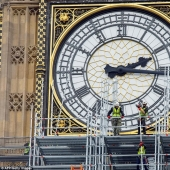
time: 2:16
